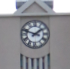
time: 1:47
